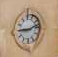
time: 9:12
